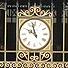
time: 9:57
